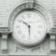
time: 5:51
